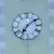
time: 7:09
